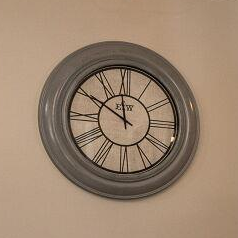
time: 11:50
